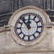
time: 11:53
